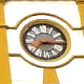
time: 7:14
